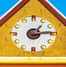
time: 1:13
